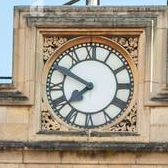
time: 7:49
